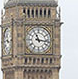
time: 11:16
